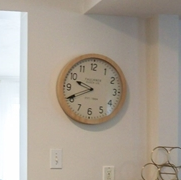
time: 9:40
